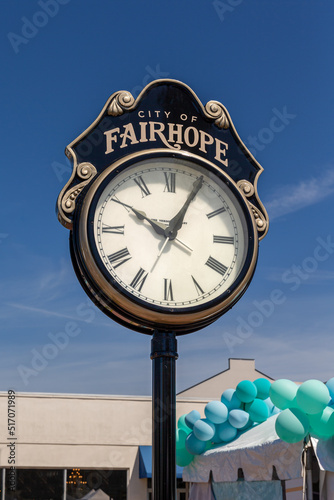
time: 10:04
